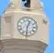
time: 12:30
